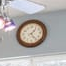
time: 1:24
